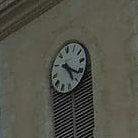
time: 5:21
